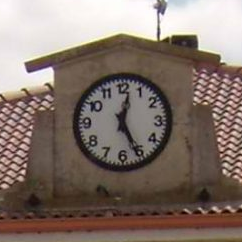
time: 12:25
